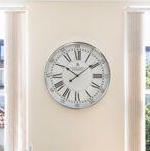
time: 10:08
